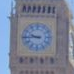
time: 9:44
